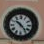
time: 10:23
